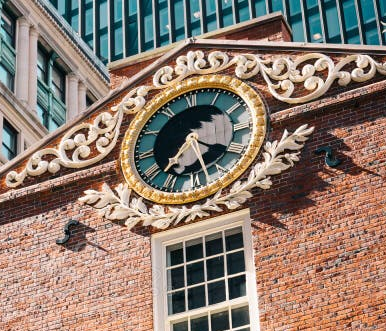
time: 5:19
